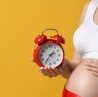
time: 1:36
